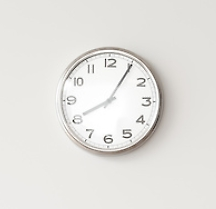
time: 8:05
